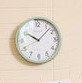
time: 10:07
